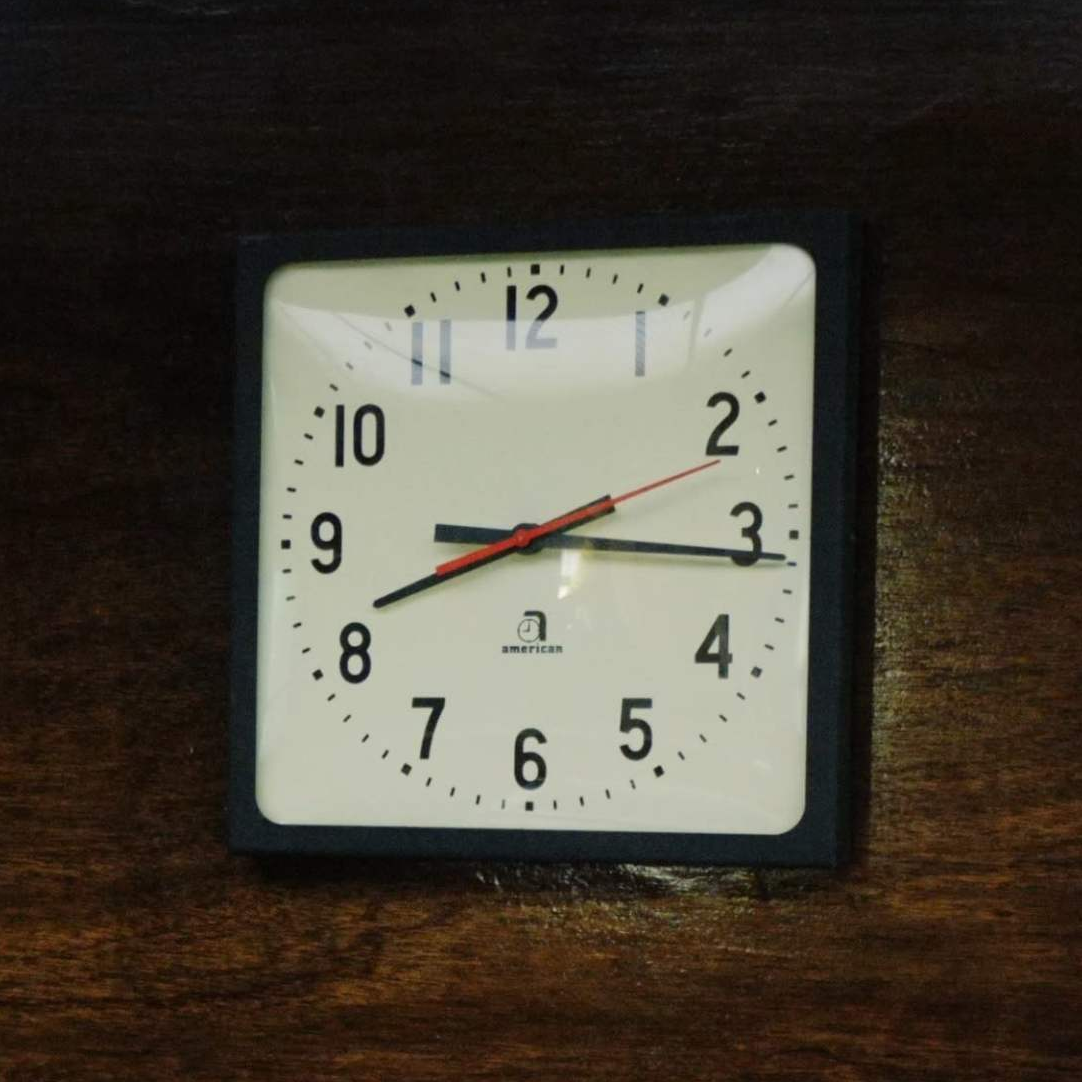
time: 8:15
